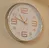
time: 10:48
